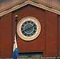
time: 8:11
